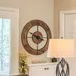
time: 3:48
